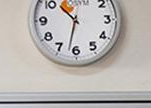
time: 10:32
